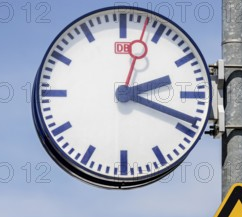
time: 2:18
